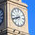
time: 7:40
